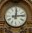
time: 12:13
